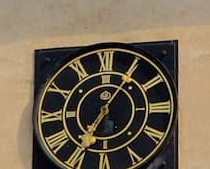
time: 7:05
